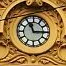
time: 11:14
